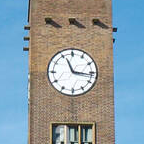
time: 11:16
